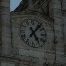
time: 11:06
